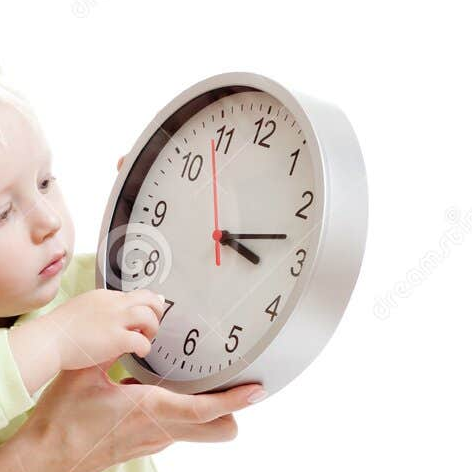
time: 3:12
